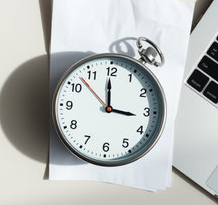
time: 2:59
